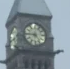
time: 4:45
